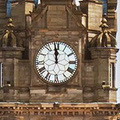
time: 11:58
